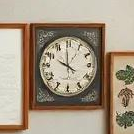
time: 9:59
